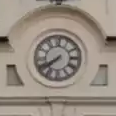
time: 7:39
